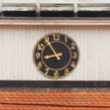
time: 8:54
